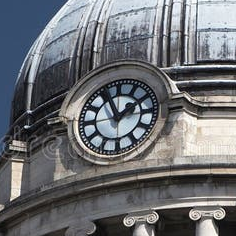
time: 1:56
